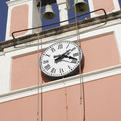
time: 2:18
